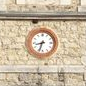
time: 8:33
